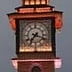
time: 7:18
